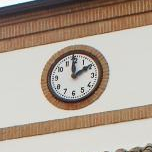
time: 1:59
